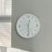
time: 12:28
